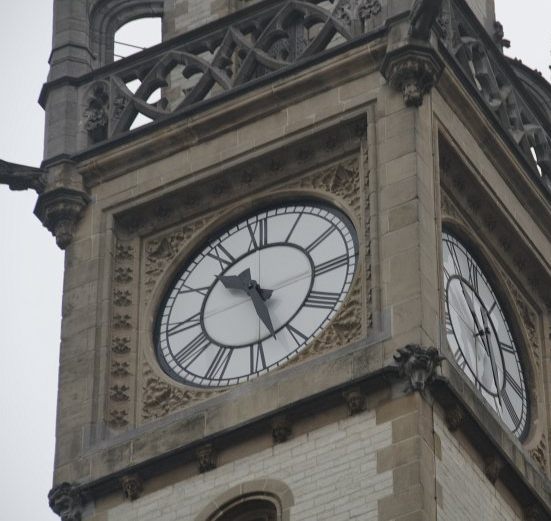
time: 10:27
